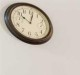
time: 10:01
